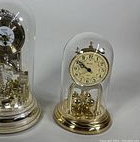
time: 9:51
